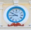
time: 8:50
